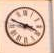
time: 3:48
